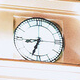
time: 8:33
